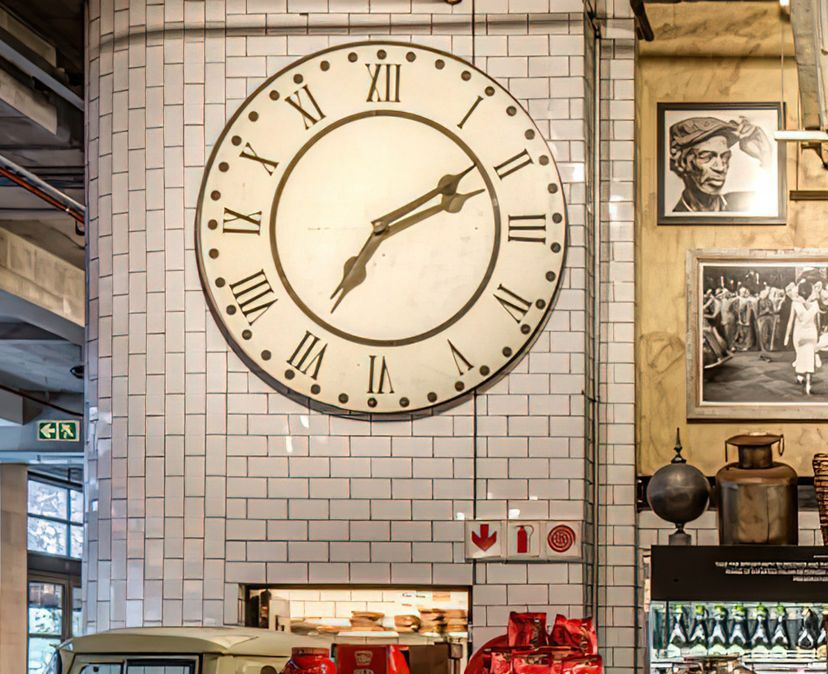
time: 7:10
